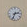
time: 2:33
